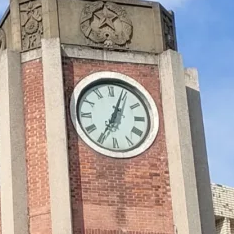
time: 7:03
